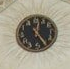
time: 12:24
